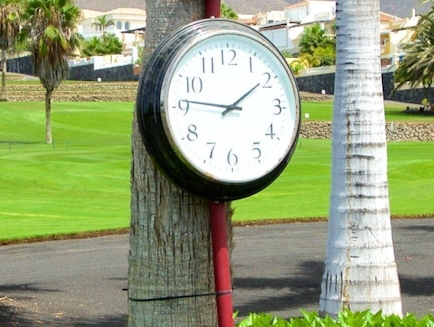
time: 1:46
